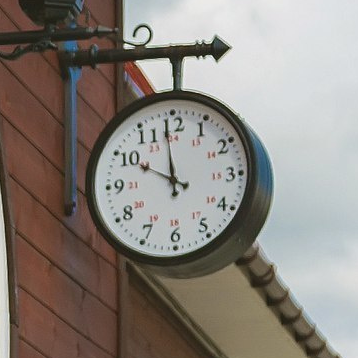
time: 9:58
